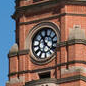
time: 6:55
